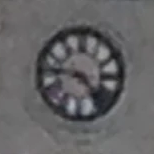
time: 4:45
